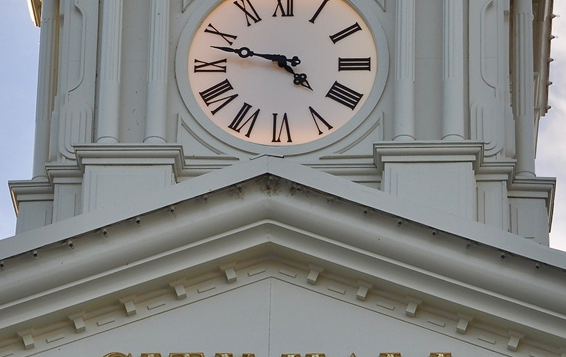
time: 4:47
